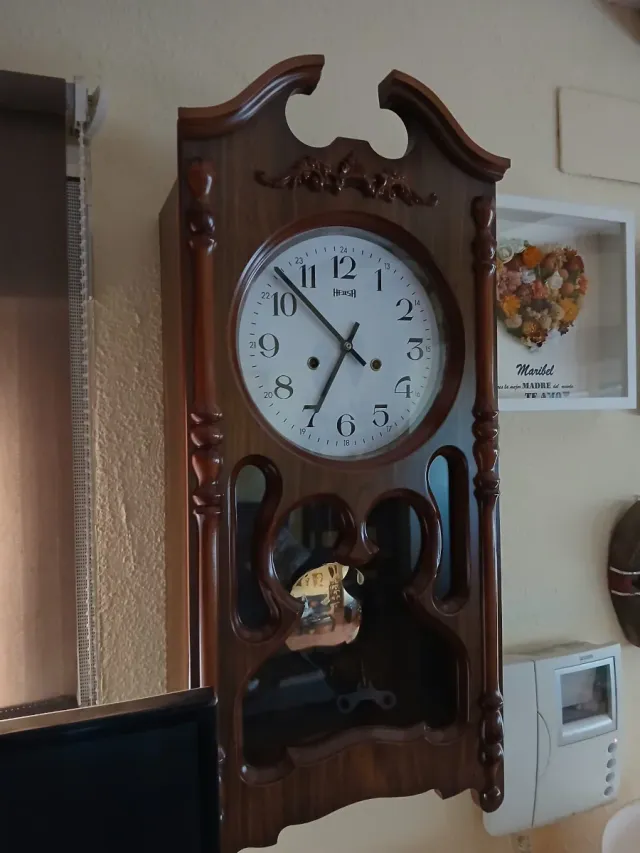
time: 6:52
